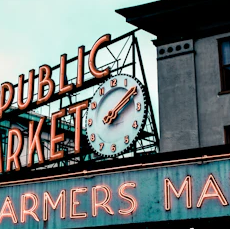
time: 2:09
